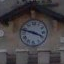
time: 3:47
